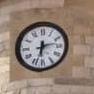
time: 6:13
